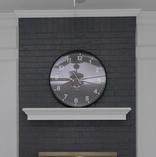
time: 11:44
